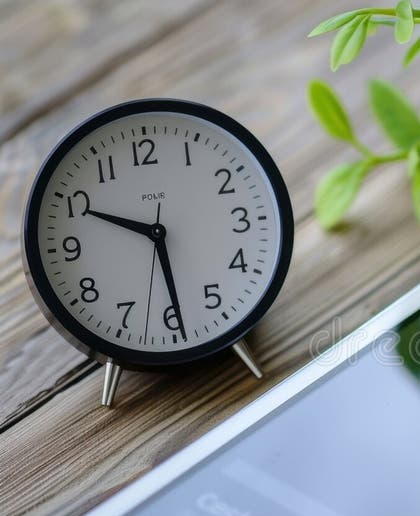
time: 5:49
